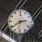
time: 2:39
